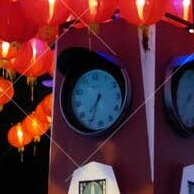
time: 7:35
